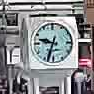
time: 9:33
